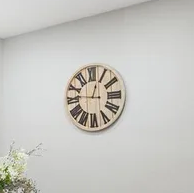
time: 12:46
